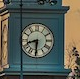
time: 8:31
